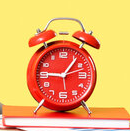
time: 9:06
